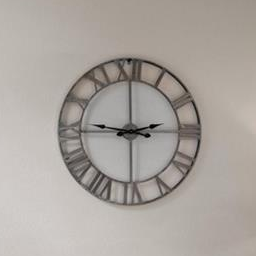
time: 2:46
